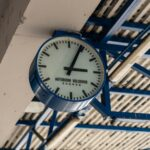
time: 3:04
